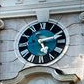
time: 5:12
